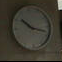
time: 10:17
